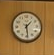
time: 1:29
